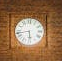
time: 5:43
